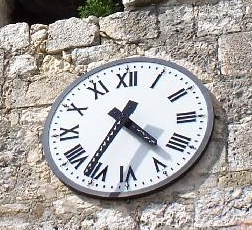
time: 4:35
